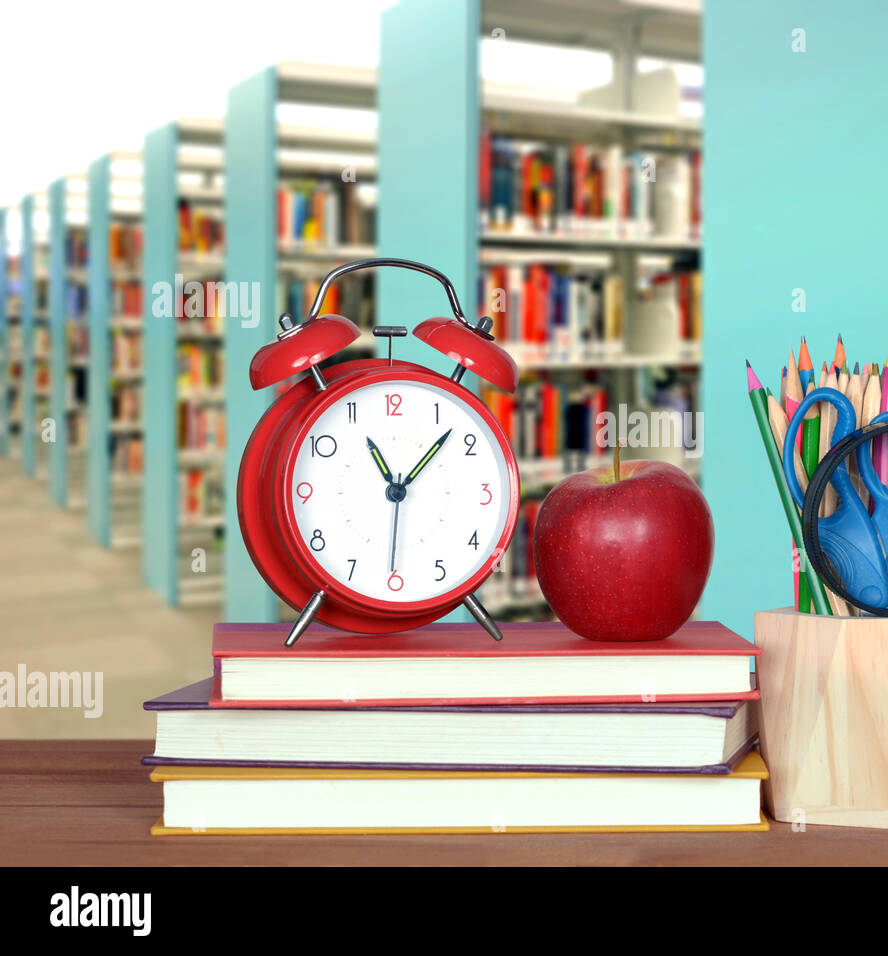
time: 11:07
